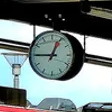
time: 12:45
